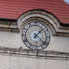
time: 1:22
